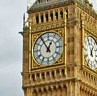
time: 12:54
